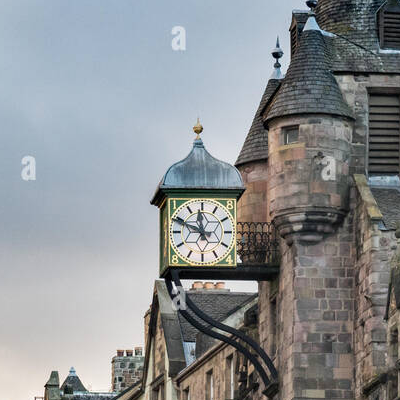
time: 11:49
